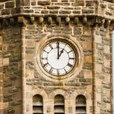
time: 1:00
